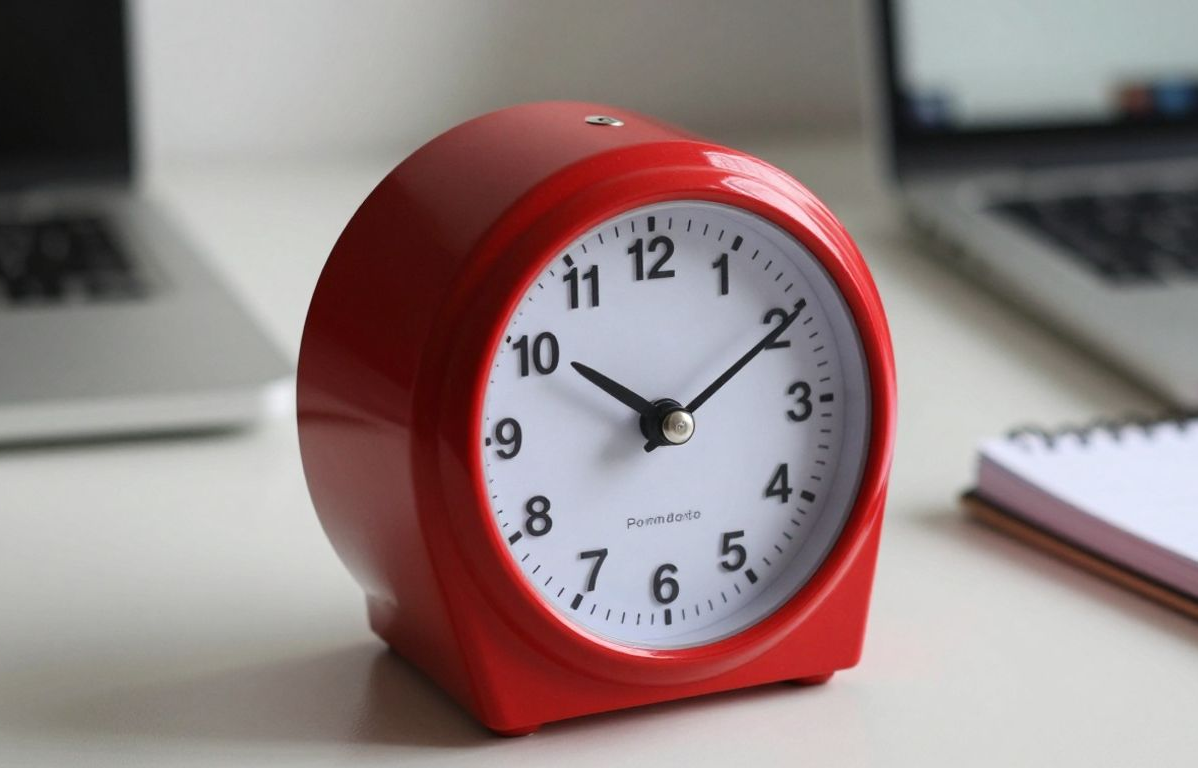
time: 10:10
